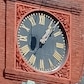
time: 1:07
